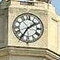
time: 1:35
